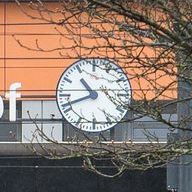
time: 10:41
